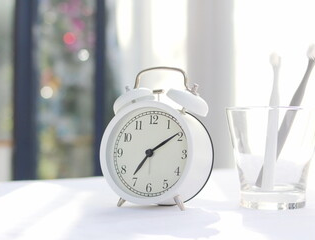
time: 7:09
